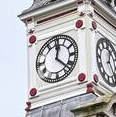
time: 12:22
